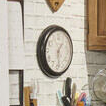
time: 1:28
